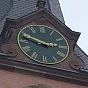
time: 2:48
